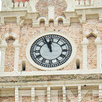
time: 11:56
